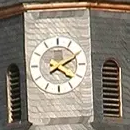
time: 4:10
